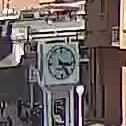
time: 3:24
